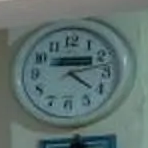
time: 4:13
